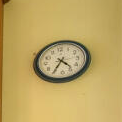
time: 4:35
